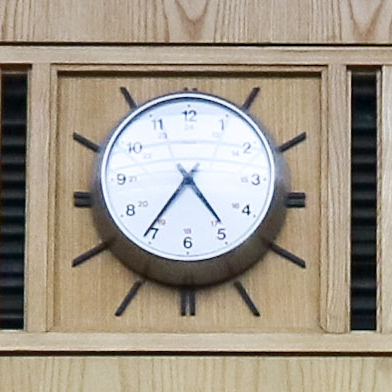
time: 4:36
